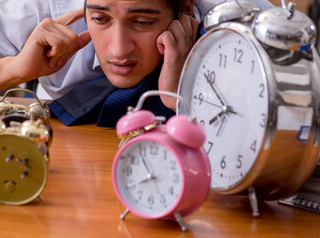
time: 7:54
